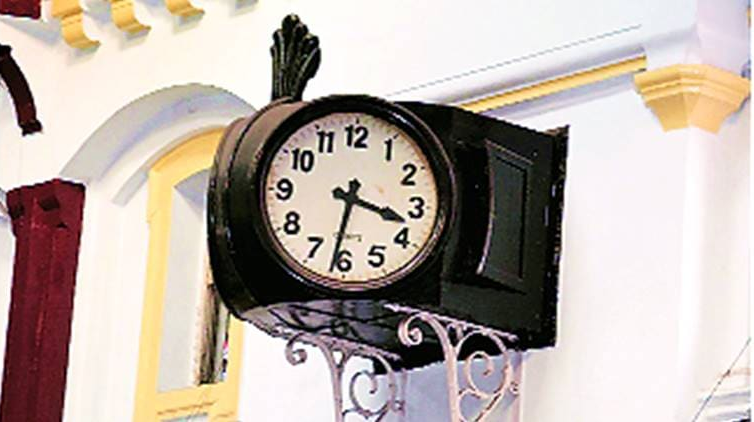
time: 3:31
